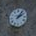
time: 2:06
